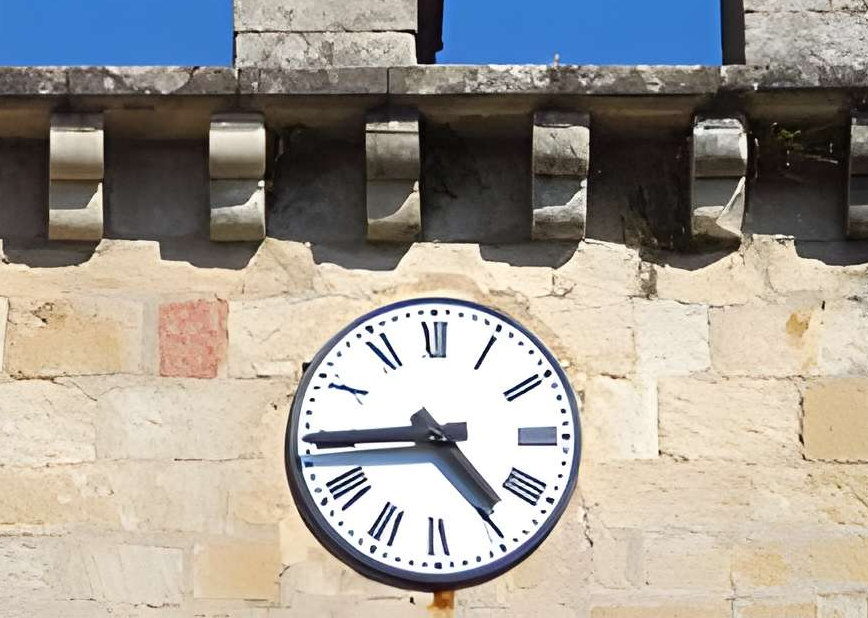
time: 4:44
